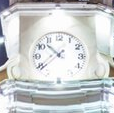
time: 10:37
